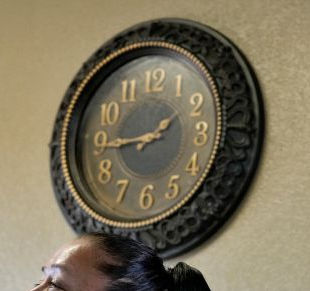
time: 1:43
